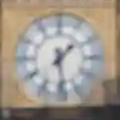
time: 1:28
